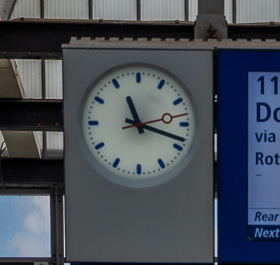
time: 11:18
